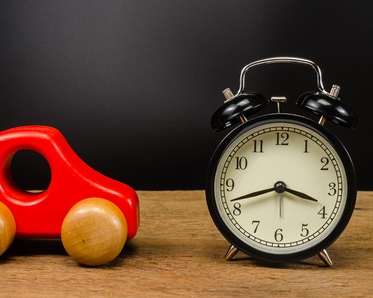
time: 3:42
